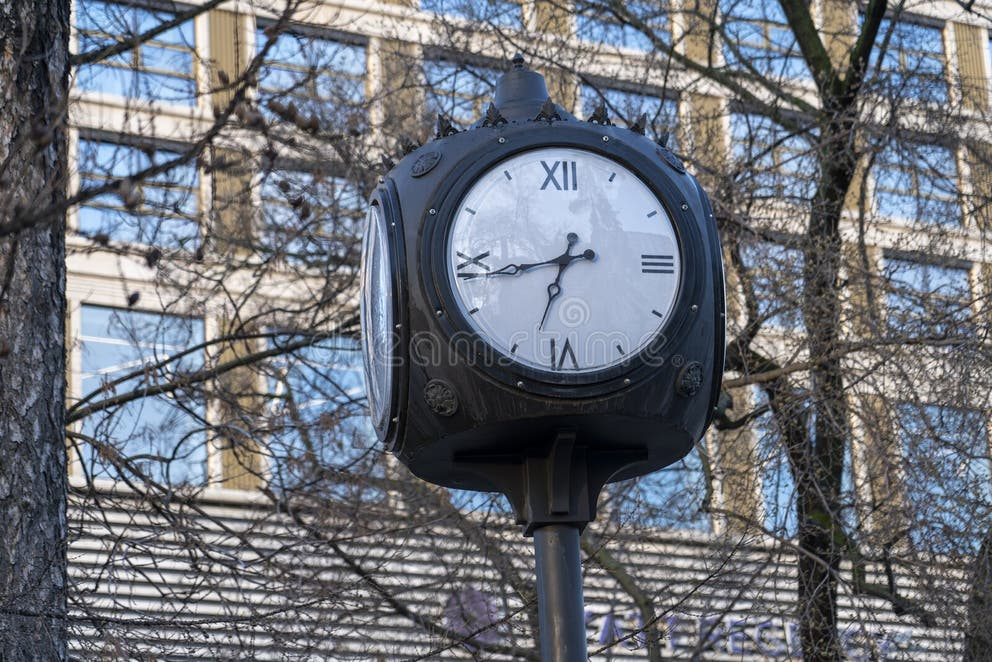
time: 6:43
